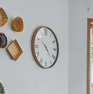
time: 10:22
